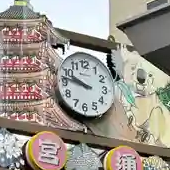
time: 9:46
